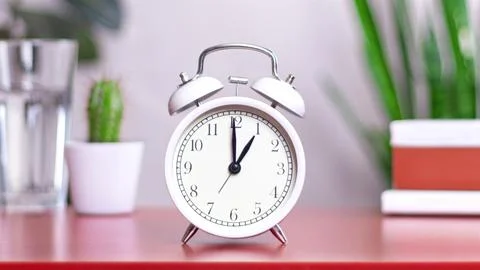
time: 1:00
